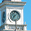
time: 7:07
